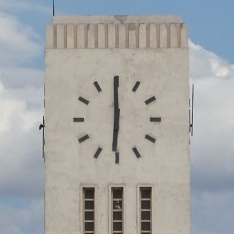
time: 5:59
